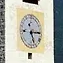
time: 5:15
